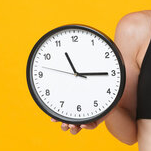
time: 11:14
